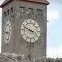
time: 3:48
